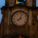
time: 8:03
